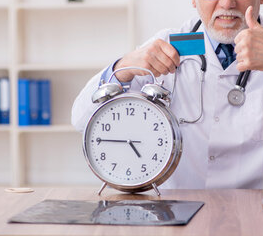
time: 4:45
